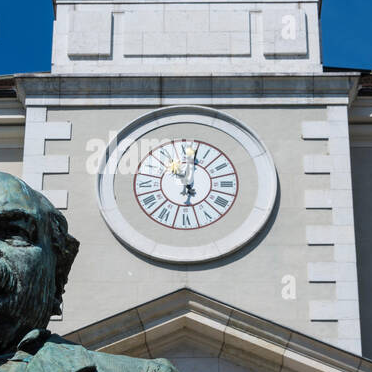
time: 11:02
